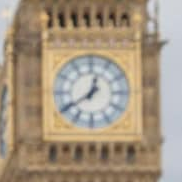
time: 12:39
